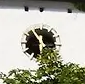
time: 5:54
